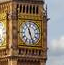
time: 11:26
